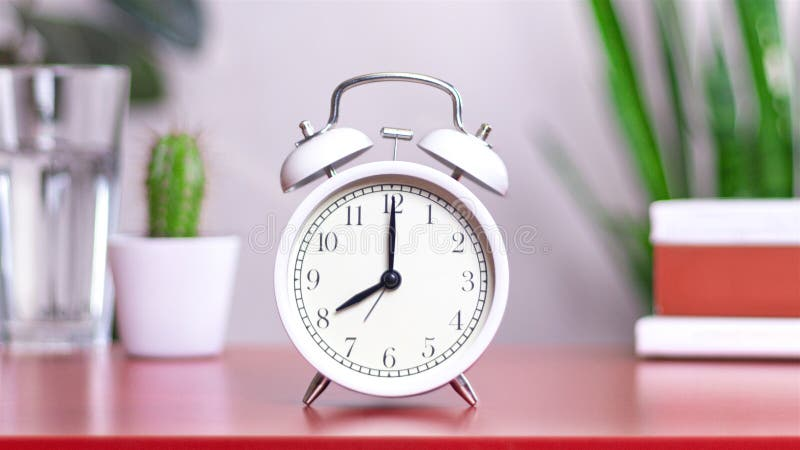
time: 8:00
